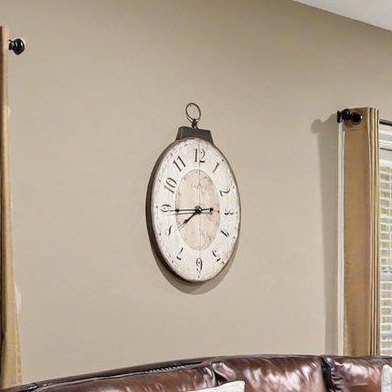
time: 7:44
